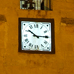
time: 10:14
